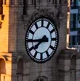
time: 7:44
